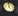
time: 4:59
